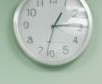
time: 1:14
